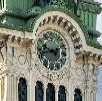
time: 9:42
